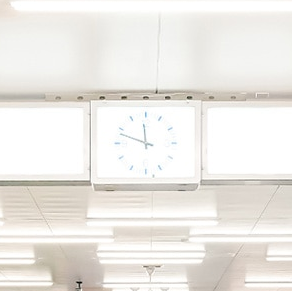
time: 11:48
